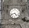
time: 4:41
